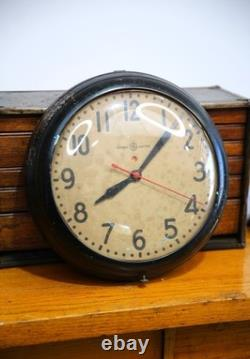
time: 8:07
